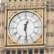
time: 12:28
